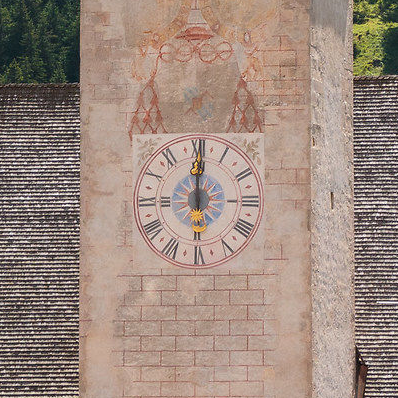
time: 12:00
